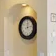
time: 12:12
